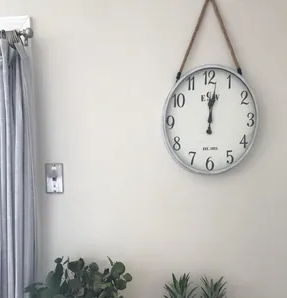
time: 12:01
